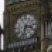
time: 3:32
